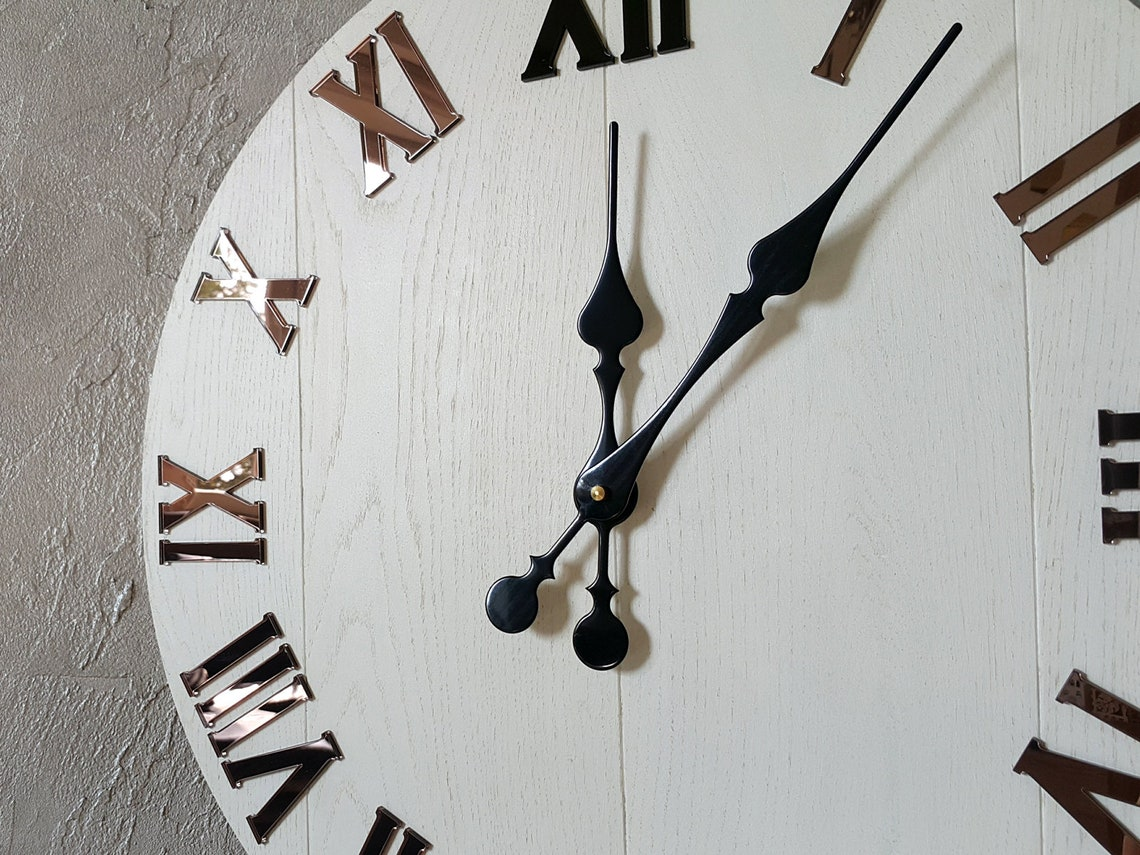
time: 12:07
